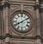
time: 8:09
